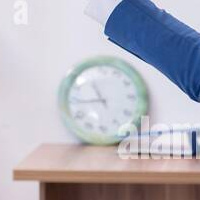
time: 10:44
